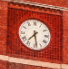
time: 7:28
